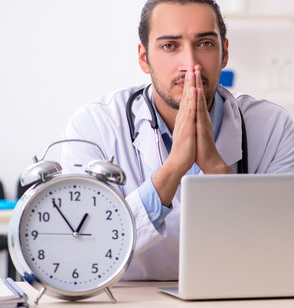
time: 12:54
